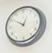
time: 12:50
